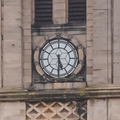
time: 5:30
